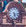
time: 5:15
